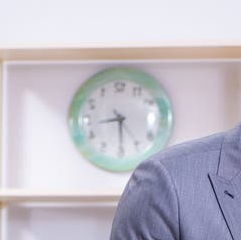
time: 8:29
